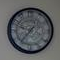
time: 1:36
